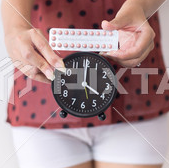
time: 4:00
